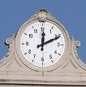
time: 12:10
